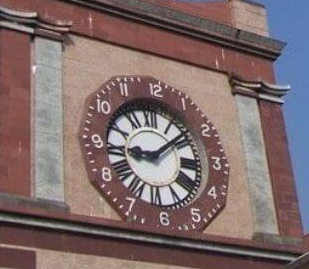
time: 9:08
